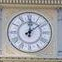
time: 12:08
